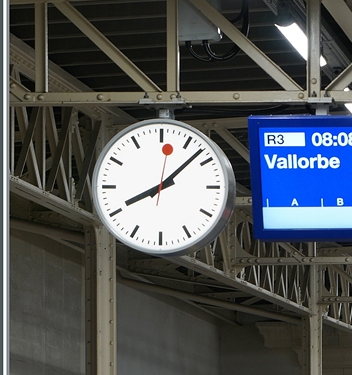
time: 8:07
